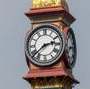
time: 2:38
